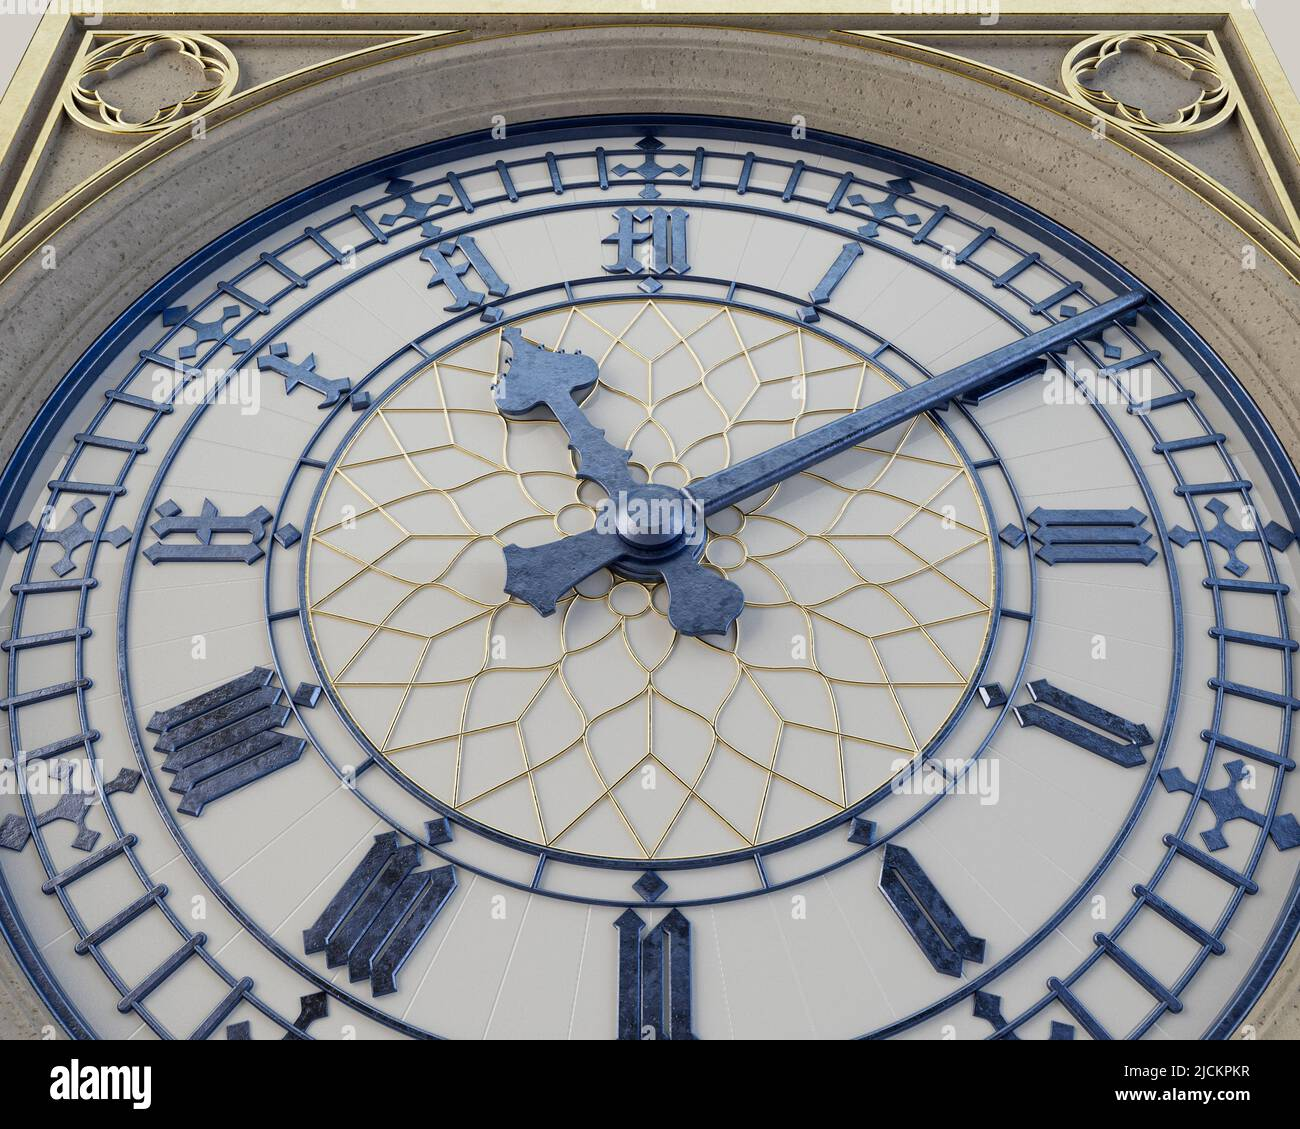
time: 11:09
